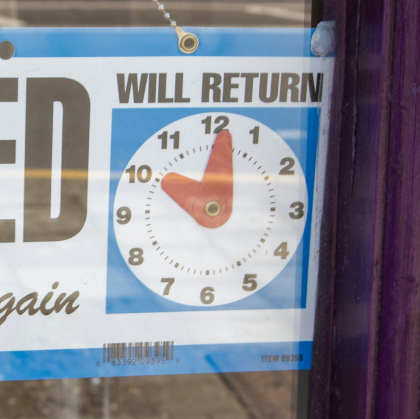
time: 10:01
